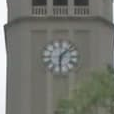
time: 6:07
